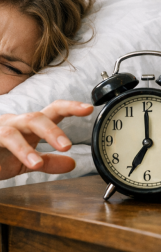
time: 7:00
